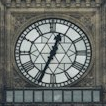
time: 12:34
